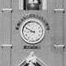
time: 8:49
